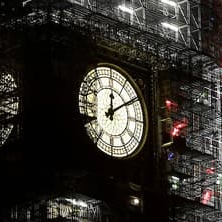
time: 12:09
